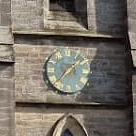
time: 1:37
